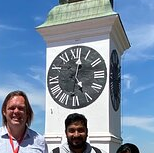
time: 5:02
